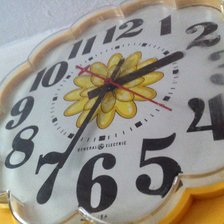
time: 2:34
